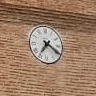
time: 7:20
